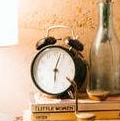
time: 6:03
